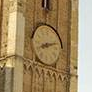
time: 8:12
